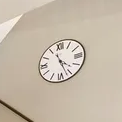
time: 4:26
